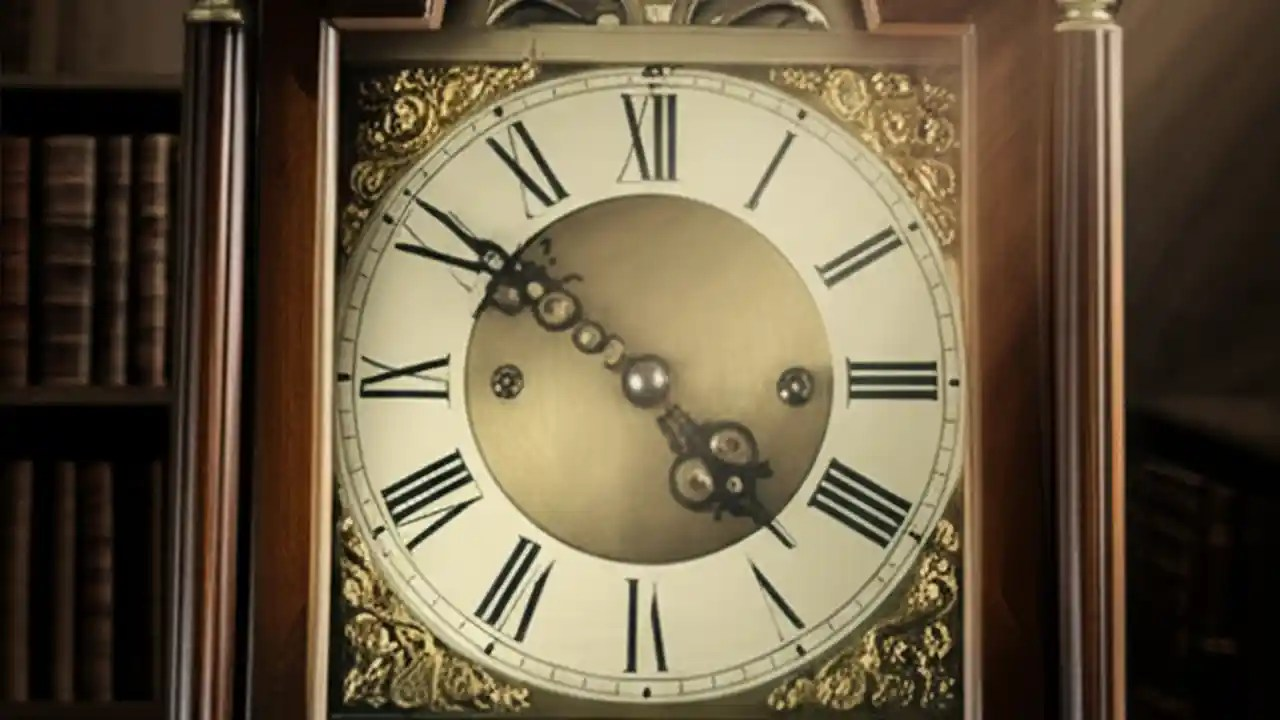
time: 4:50
